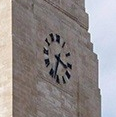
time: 3:33
